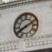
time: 8:11
